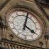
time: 4:02
